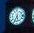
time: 5:34
